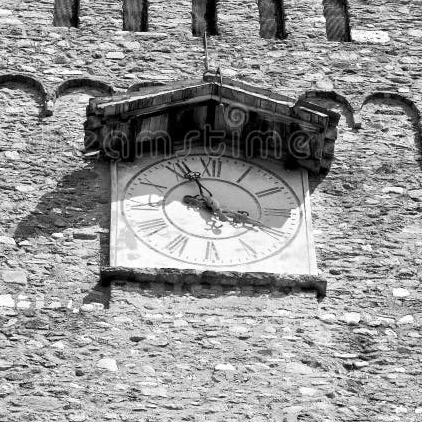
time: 3:56
